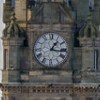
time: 1:16
